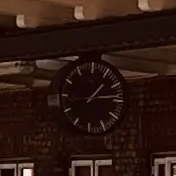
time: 1:13
